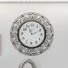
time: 11:11
